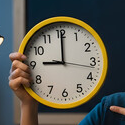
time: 9:00
